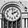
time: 2:01
